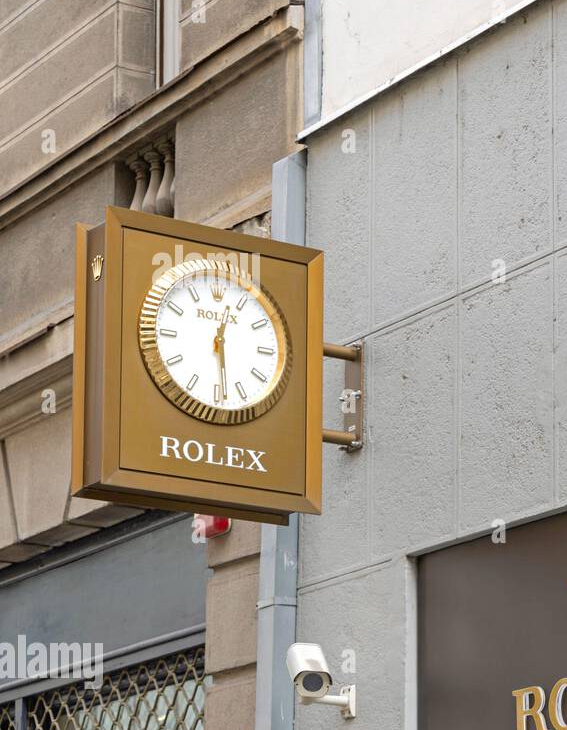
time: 12:28
